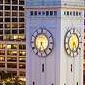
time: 6:25
